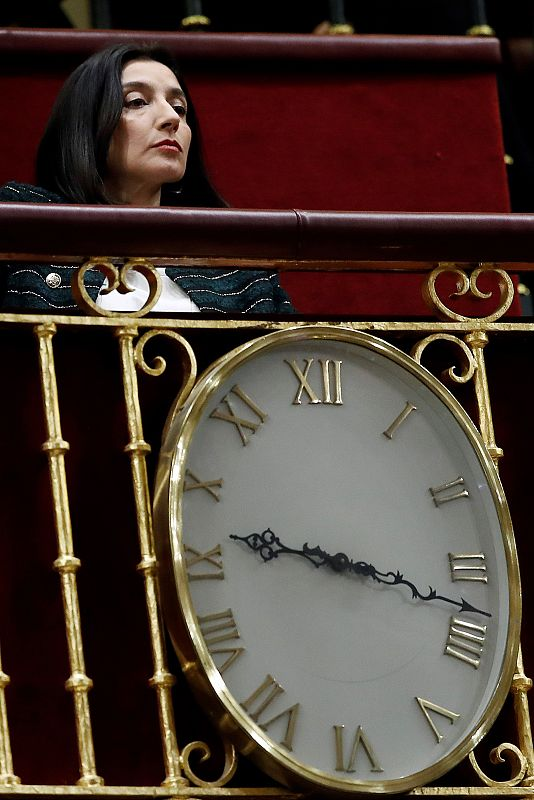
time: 9:17
